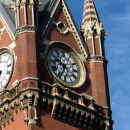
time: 9:34
